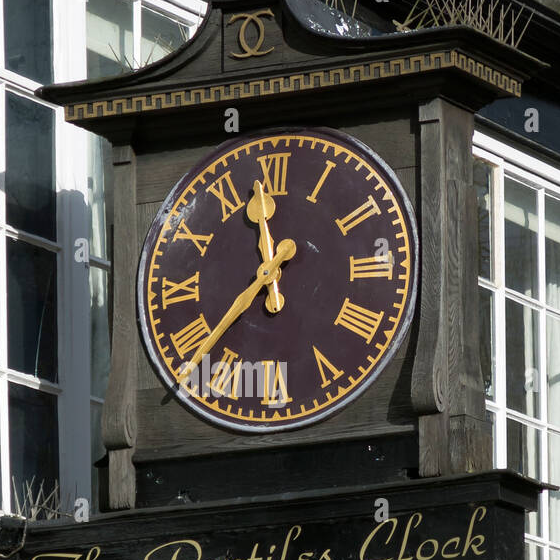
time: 11:37
